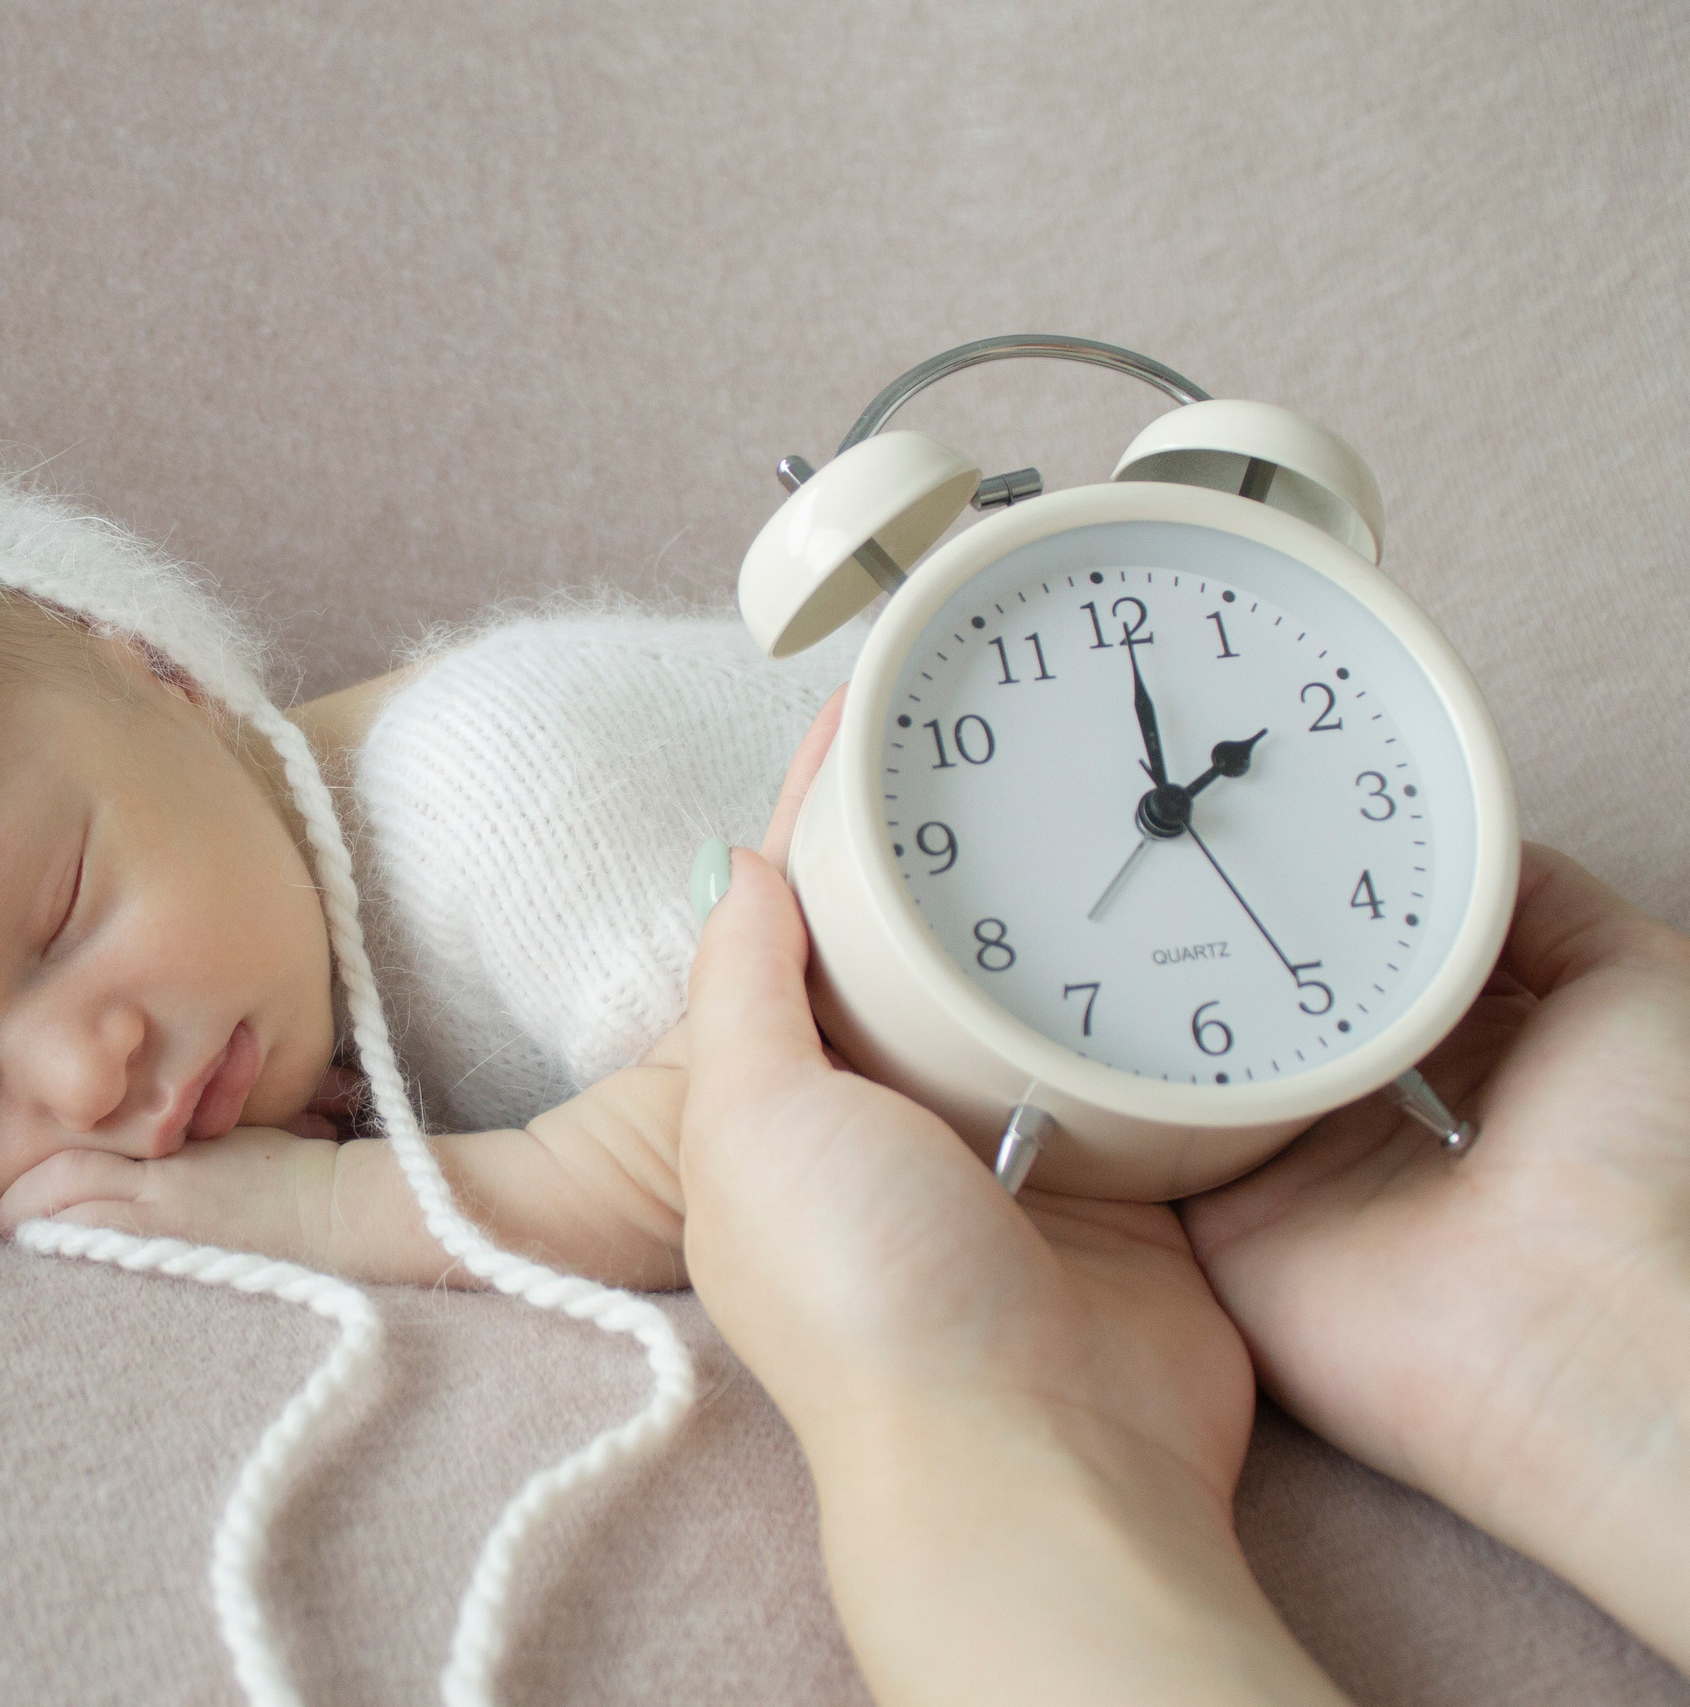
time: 2:00
